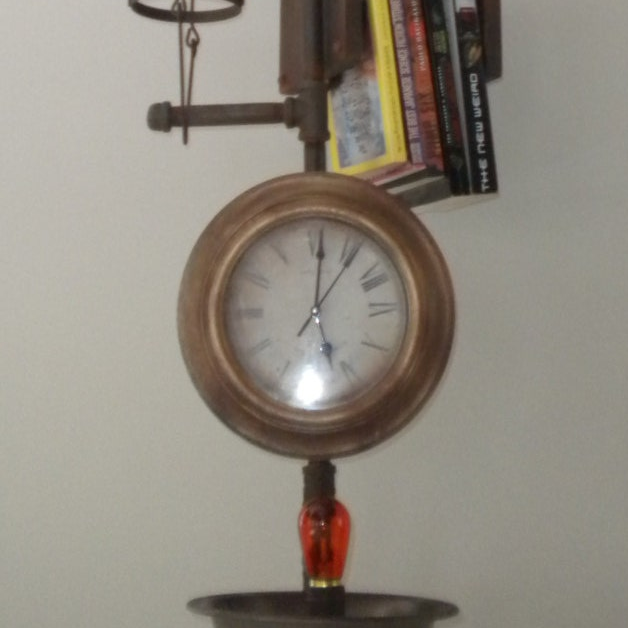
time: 5:01
